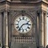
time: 2:36
